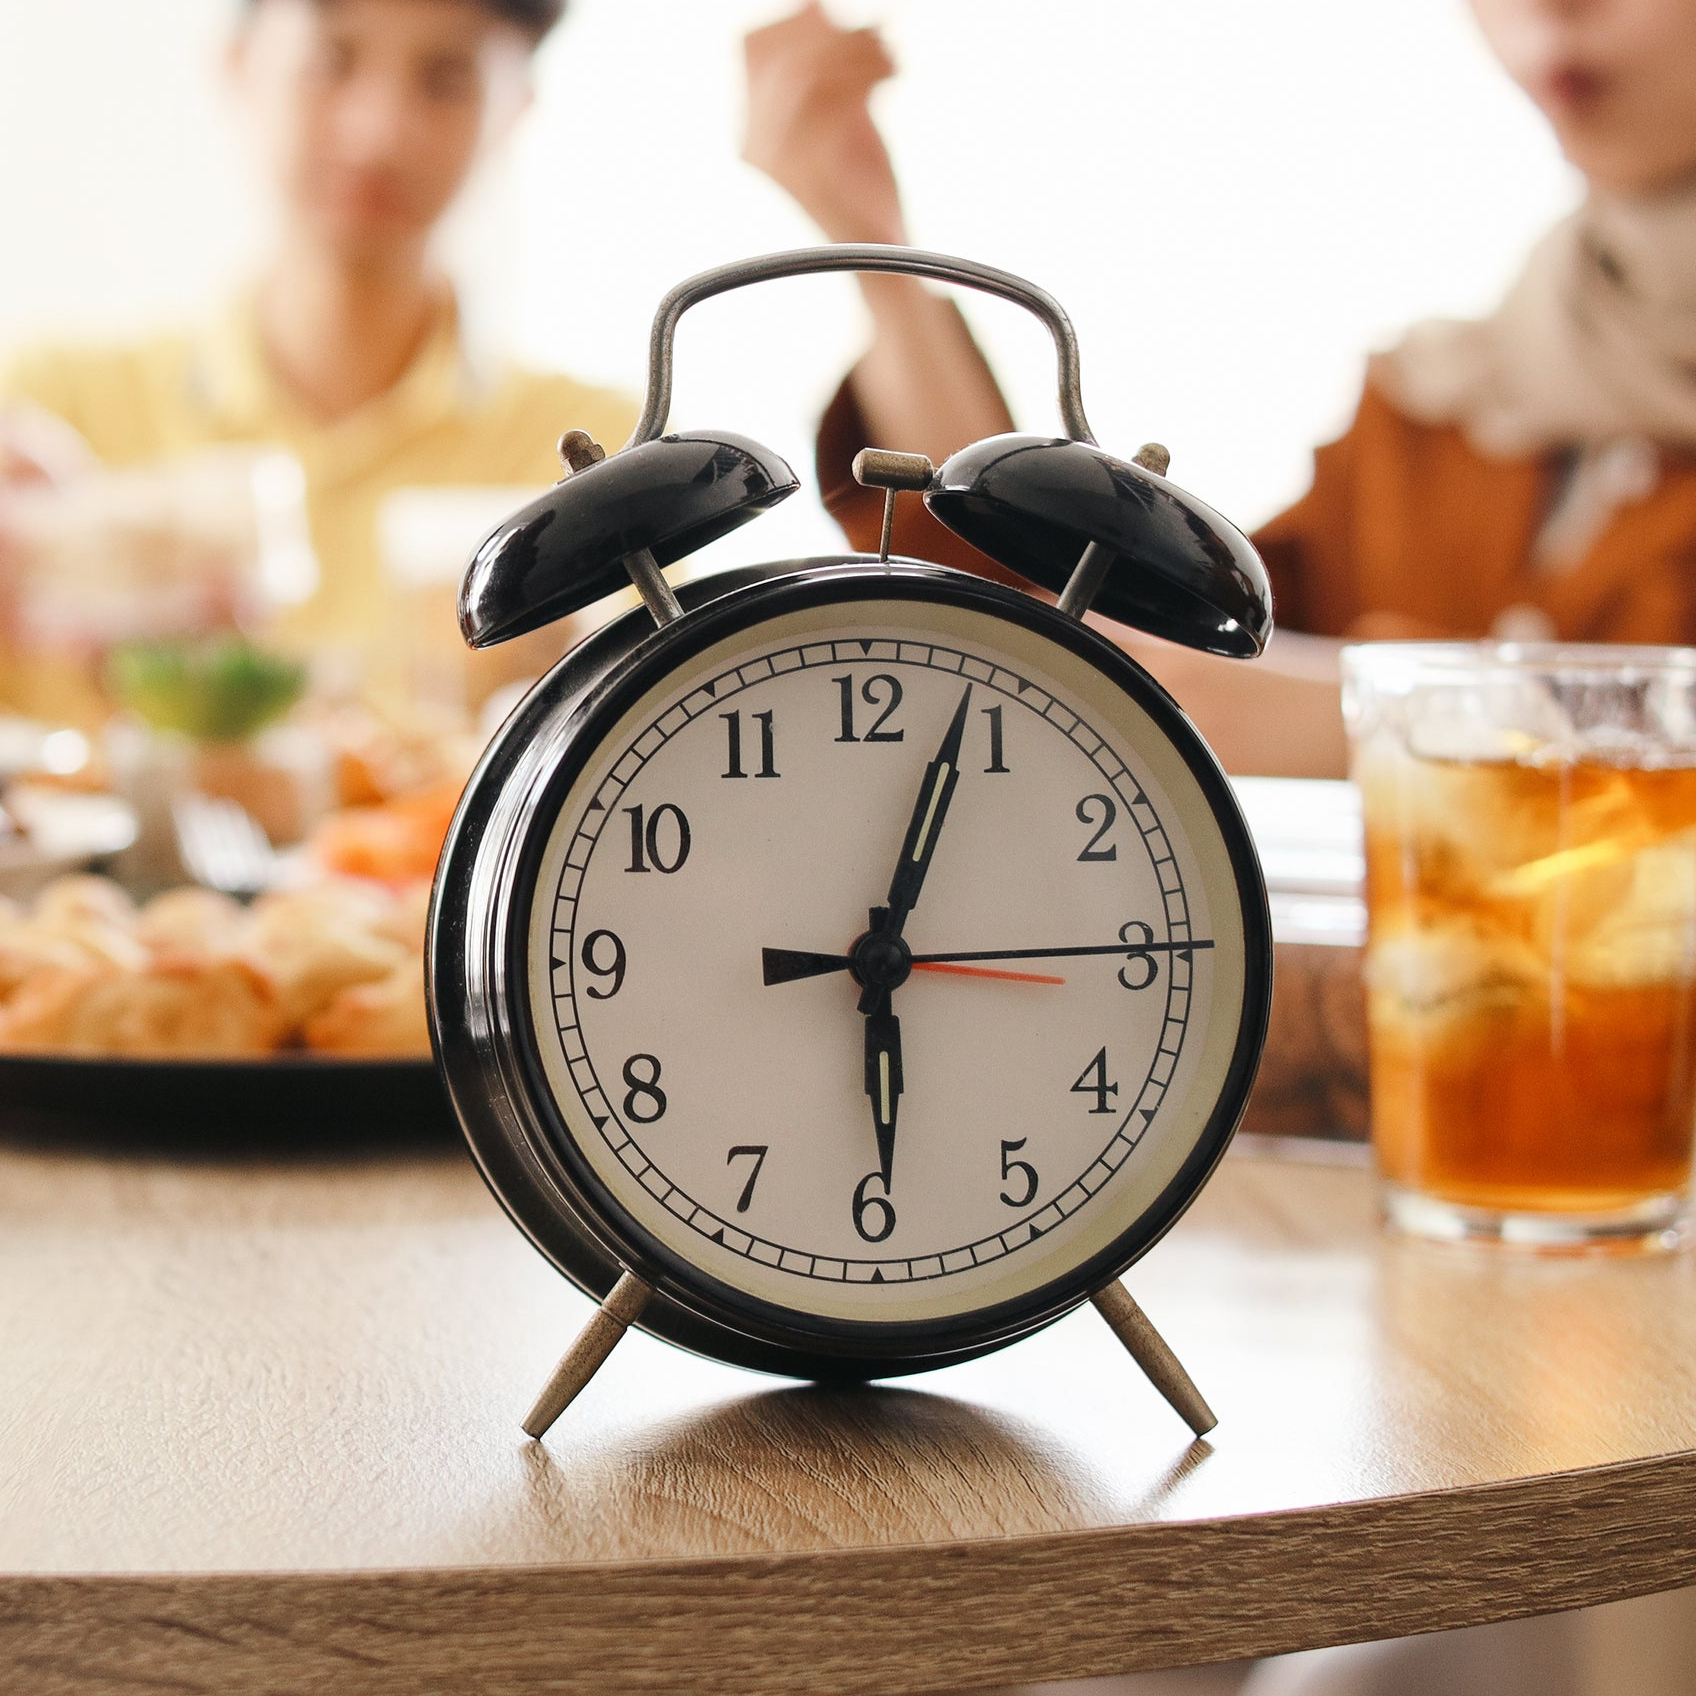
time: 6:03
